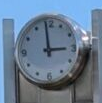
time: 2:59
